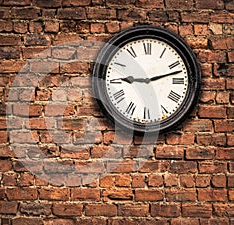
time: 9:12
